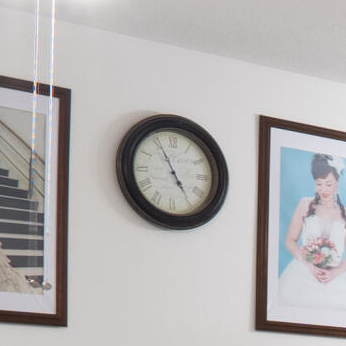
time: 4:55
